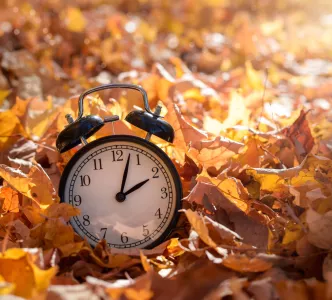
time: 2:02
